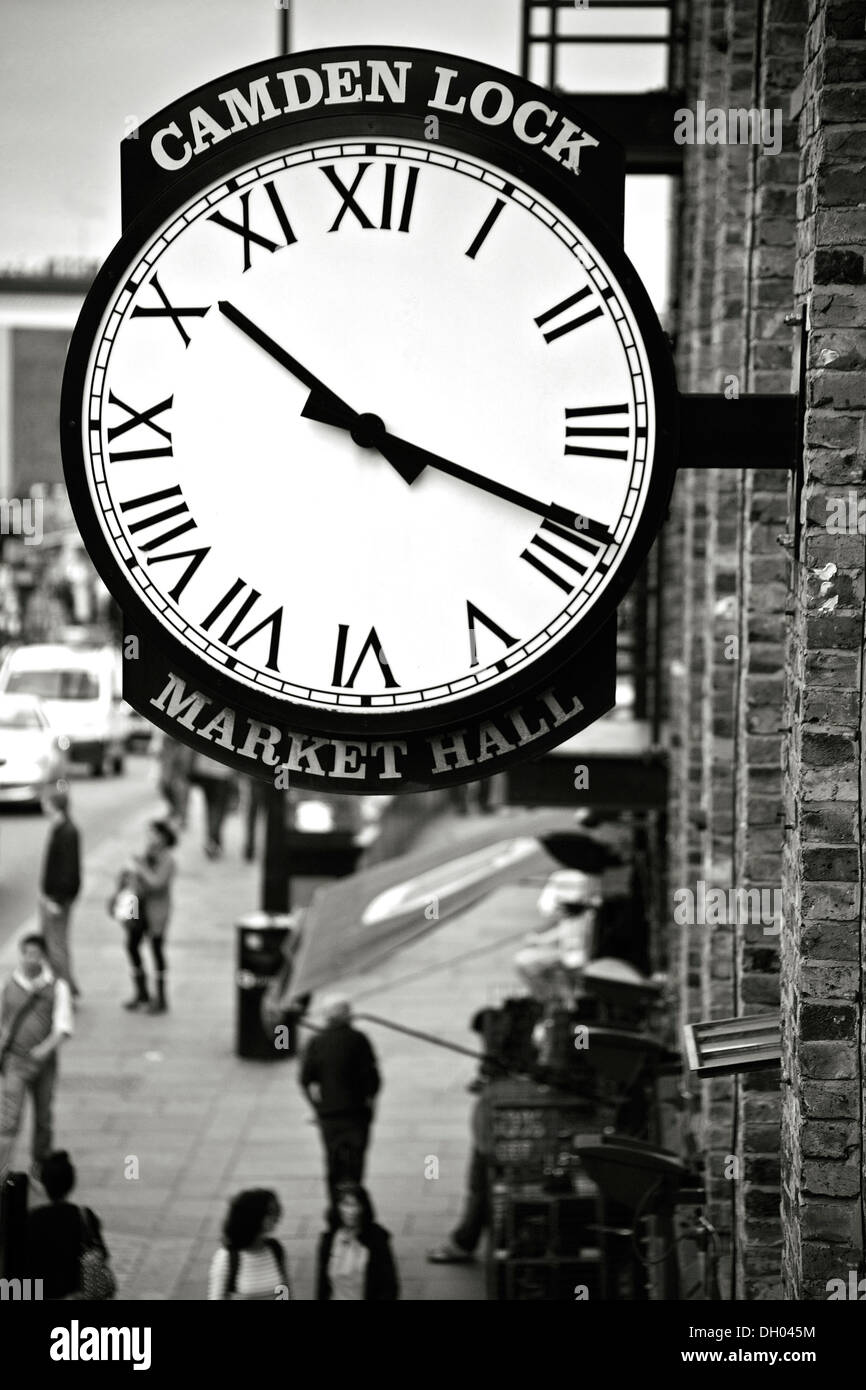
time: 10:18
